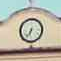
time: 6:36
